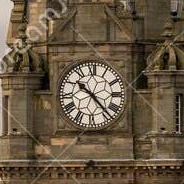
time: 10:23
